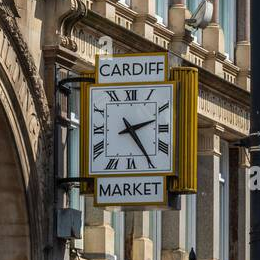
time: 2:24
